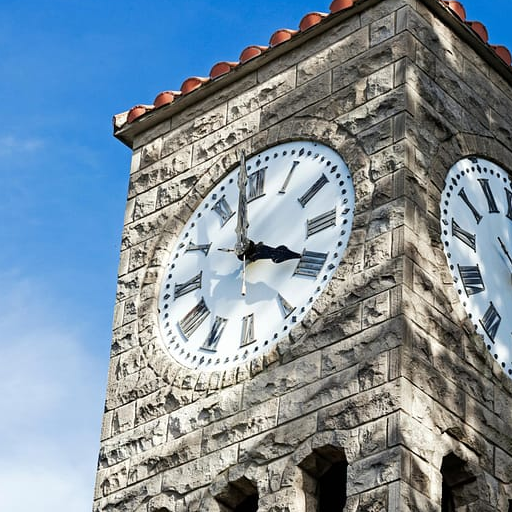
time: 3:58
